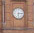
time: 6:14
